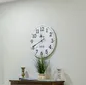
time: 11:40
